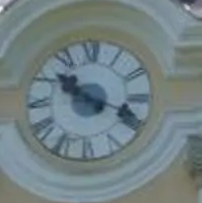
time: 10:18
